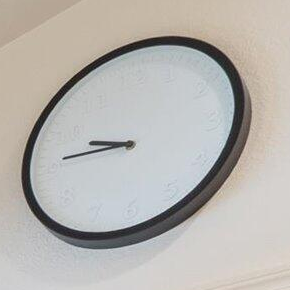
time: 9:45
